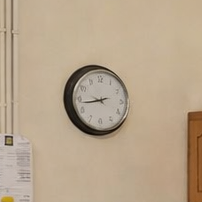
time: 8:43
